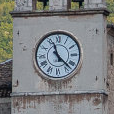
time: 11:22
